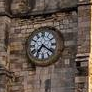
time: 7:21
